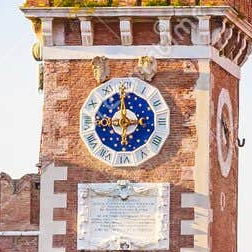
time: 5:58
